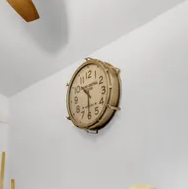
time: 10:30
